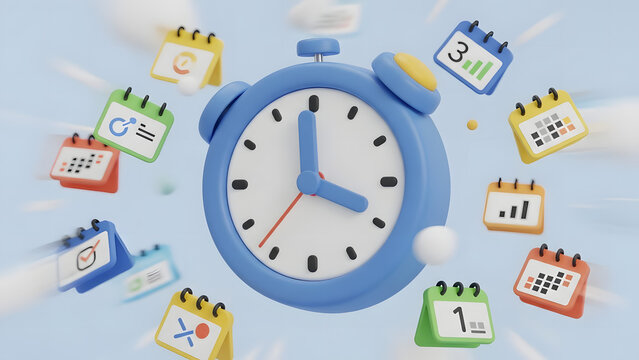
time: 3:58
